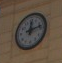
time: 12:12
